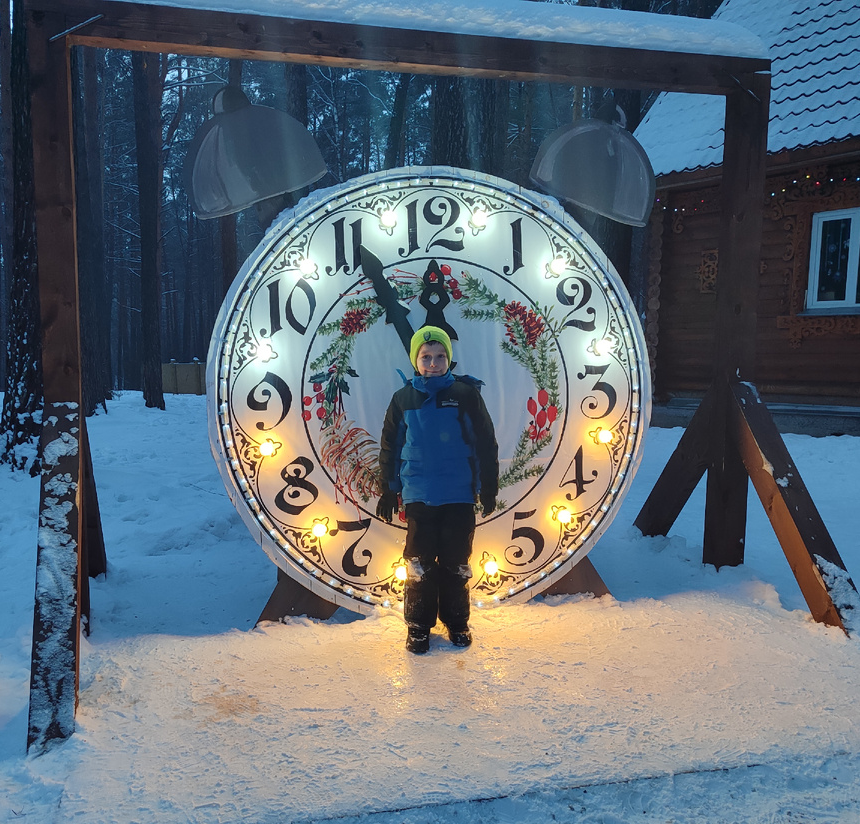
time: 11:54
